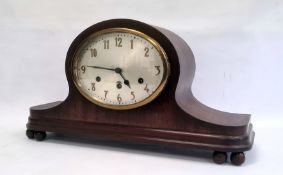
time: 4:46
